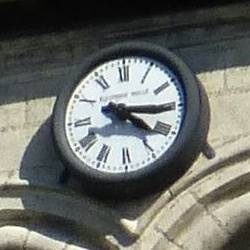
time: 4:15
